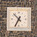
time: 10:34
